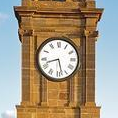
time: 8:27
